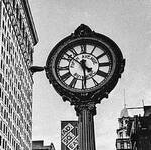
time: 5:51
